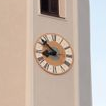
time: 8:52
